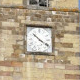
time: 10:20
